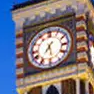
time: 7:28
